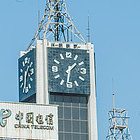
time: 1:31
